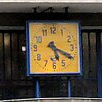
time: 5:19
